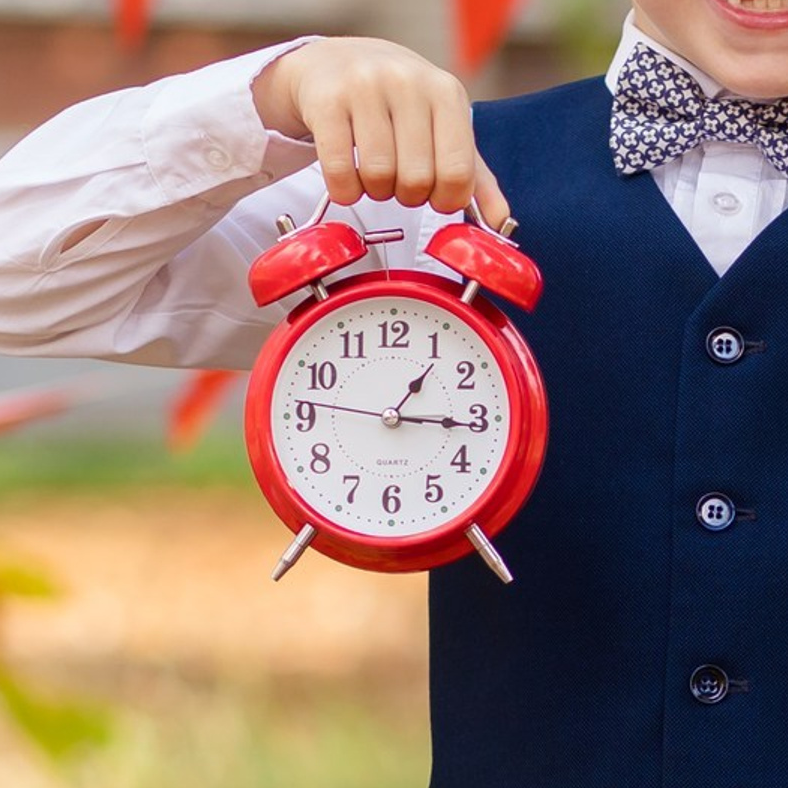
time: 1:15
